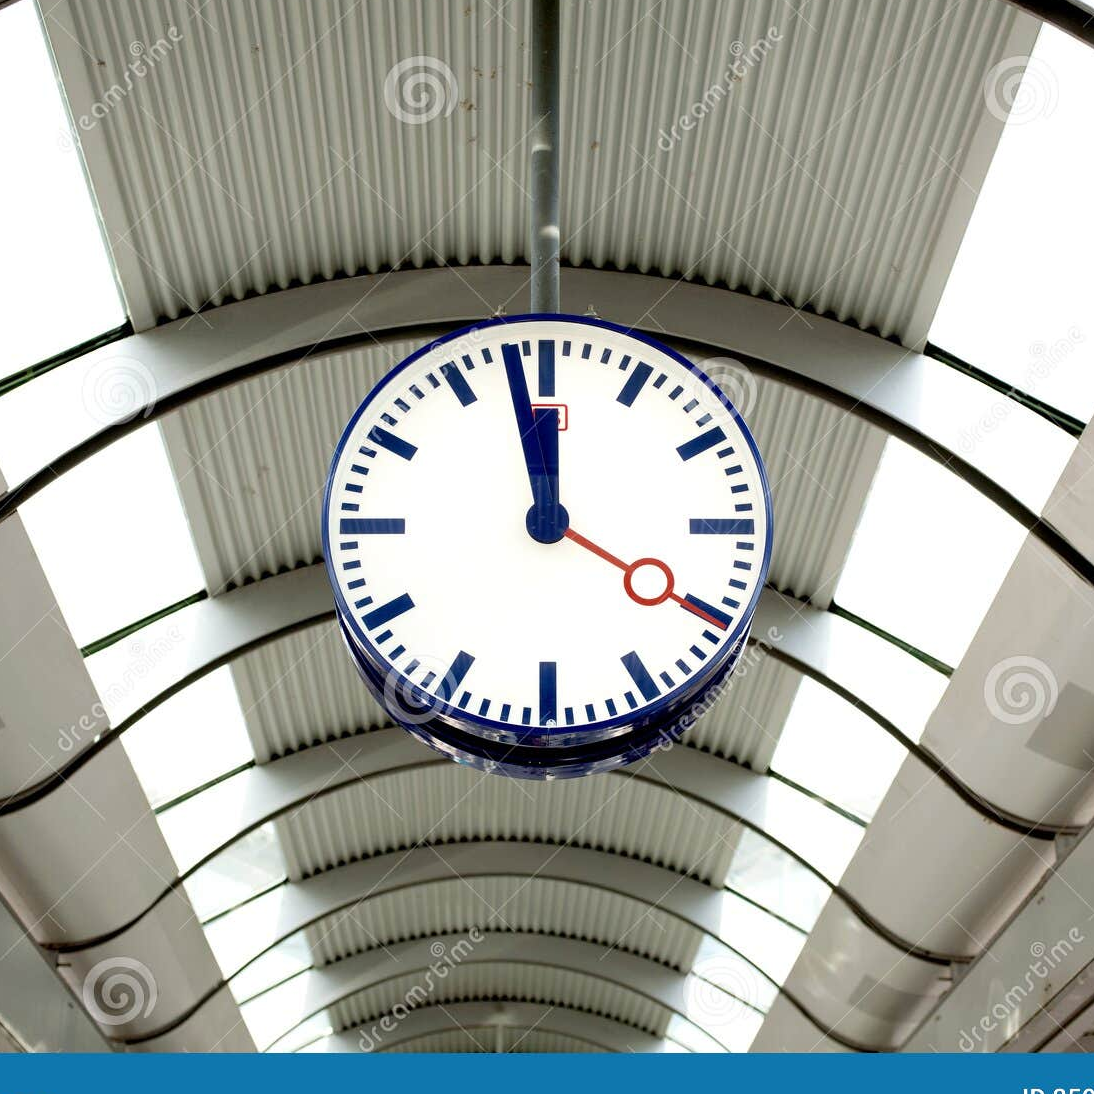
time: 11:58
